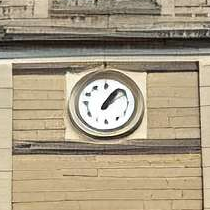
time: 1:08
